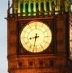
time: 8:32
